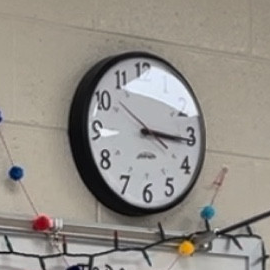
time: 3:15
